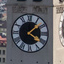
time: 4:07
